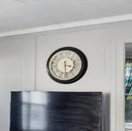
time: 3:29
